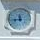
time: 11:43
